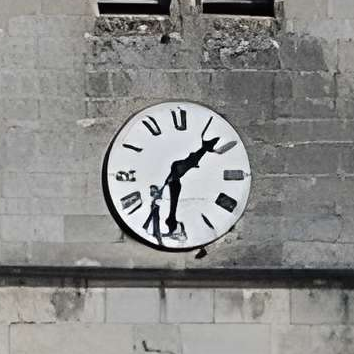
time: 1:31
